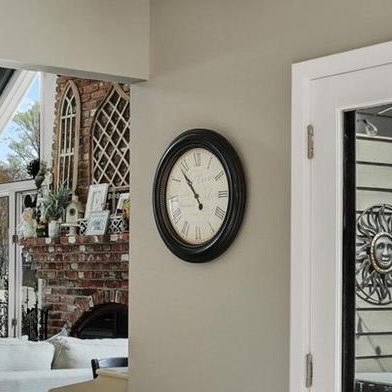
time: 4:52
